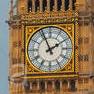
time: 1:56
